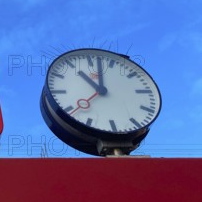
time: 11:02
